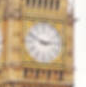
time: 2:49
